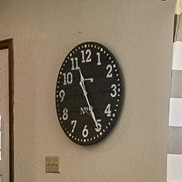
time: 11:25
